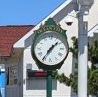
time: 1:35
